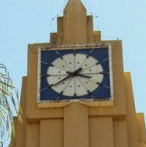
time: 3:39
